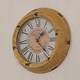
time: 1:23
